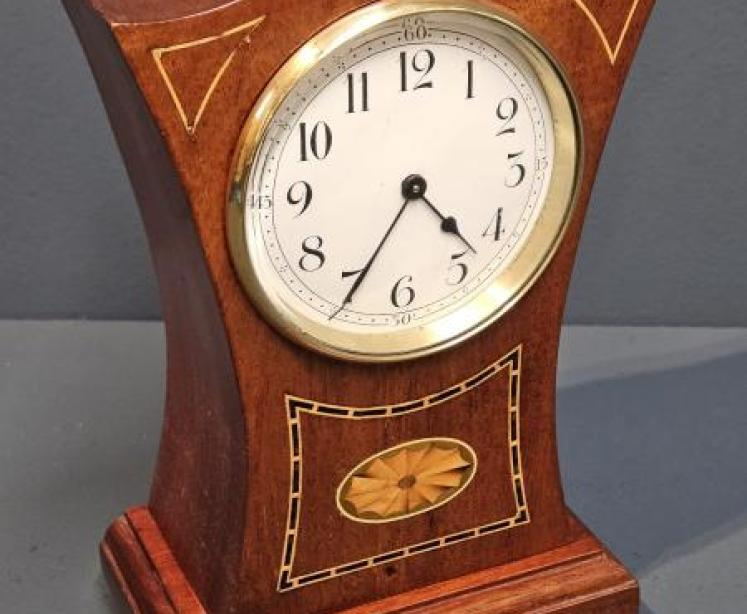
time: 4:35
